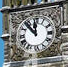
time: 11:53
